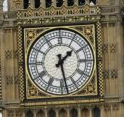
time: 1:28
